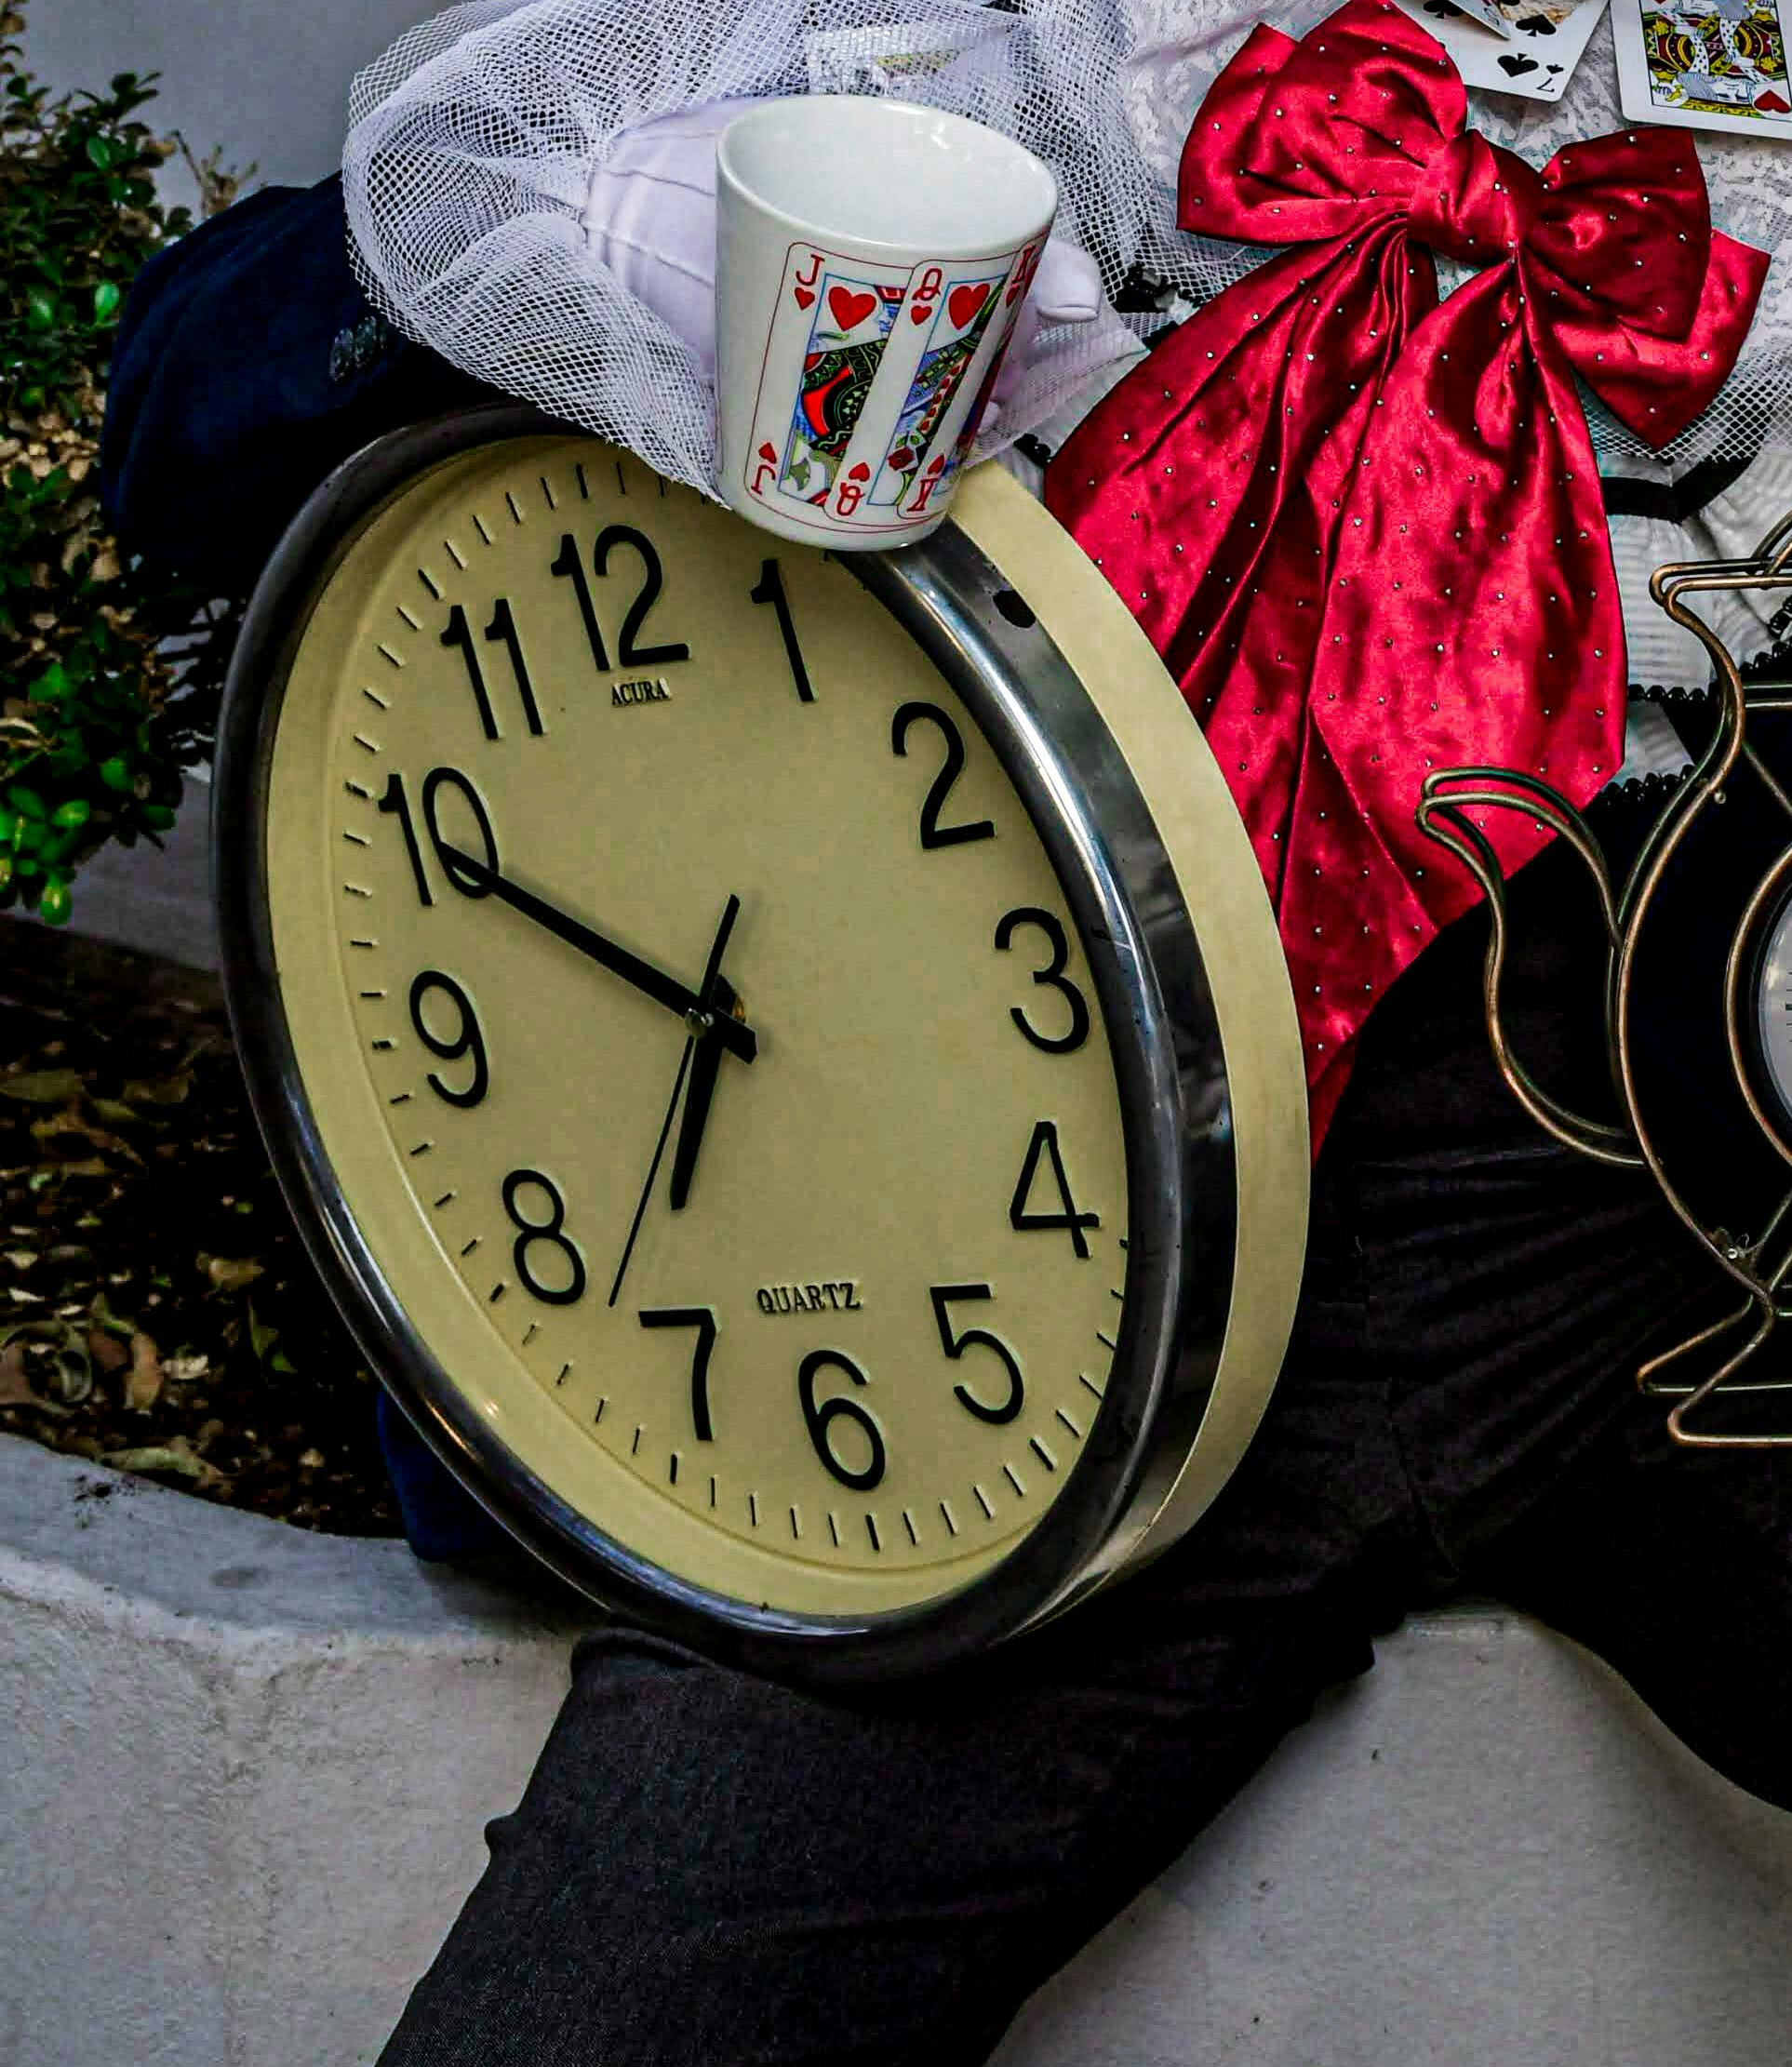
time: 6:49
